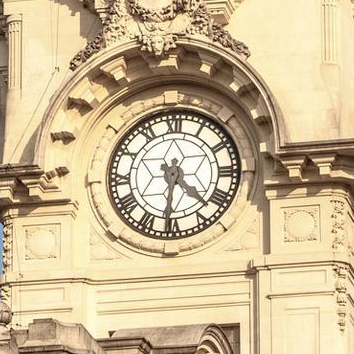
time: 4:31
